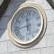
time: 11:42
